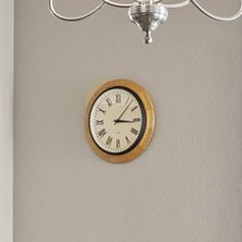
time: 3:07
